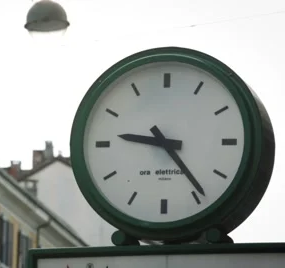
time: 9:23
